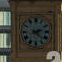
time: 2:22
